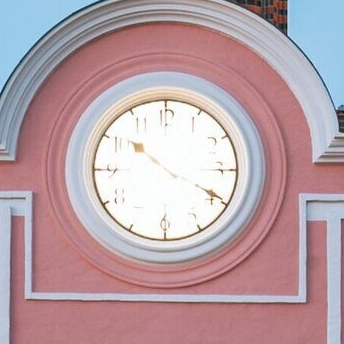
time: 10:19
